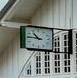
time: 10:45
